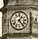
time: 1:23
